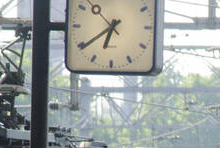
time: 6:39
